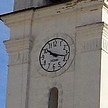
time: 10:17
